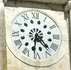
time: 4:31
